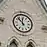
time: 11:52
